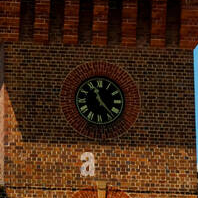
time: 11:23
